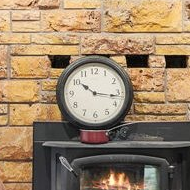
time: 10:16
